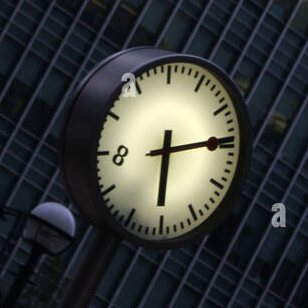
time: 6:14
